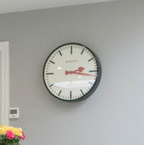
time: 2:16
